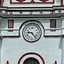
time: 9:23
